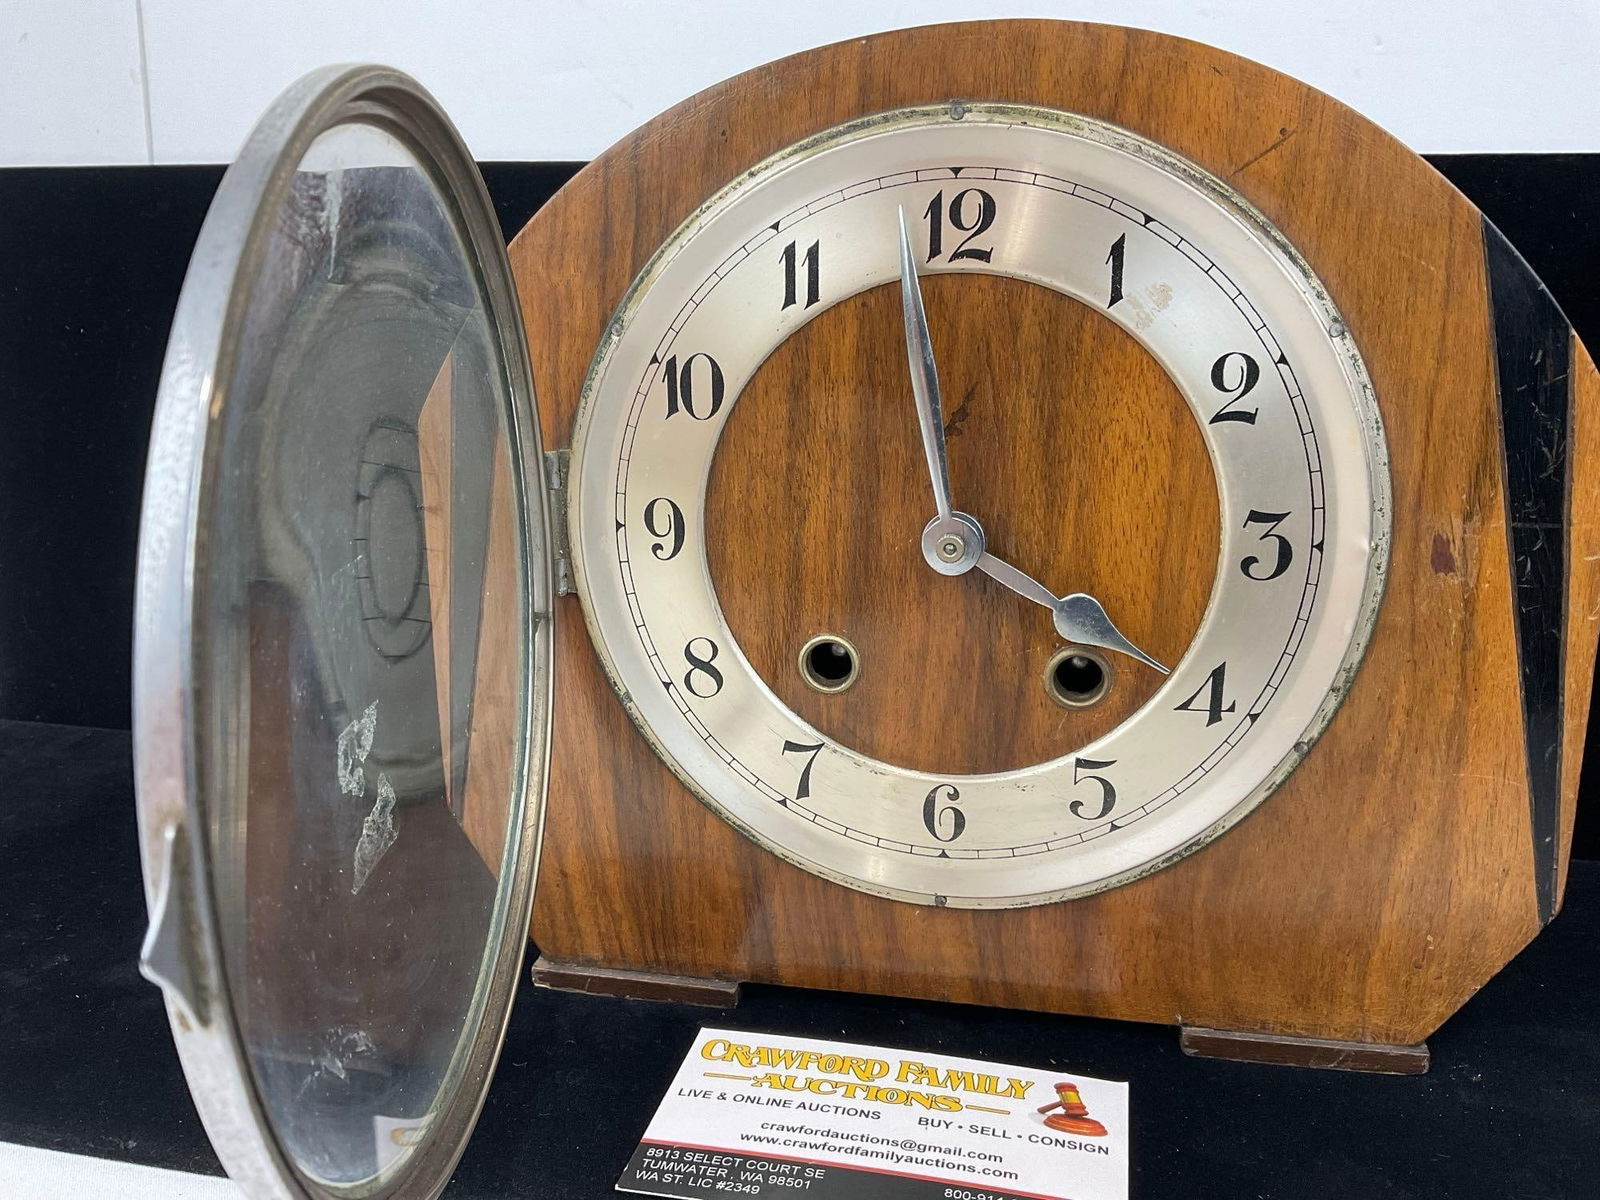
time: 3:58
